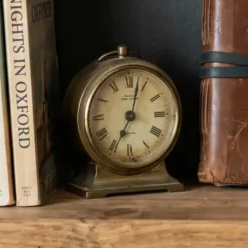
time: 7:02
